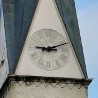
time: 9:11
